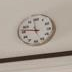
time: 11:46
